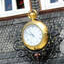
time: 10:47
